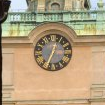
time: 12:33
